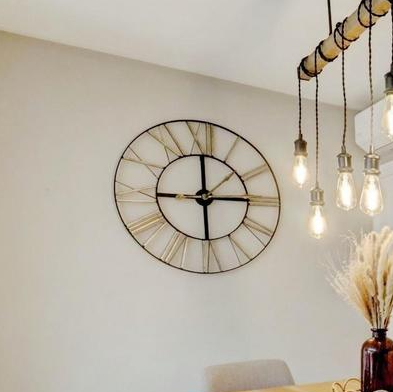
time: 3:00
